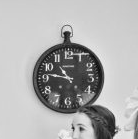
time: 10:47
